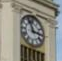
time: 2:56
